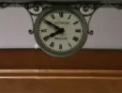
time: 7:50
